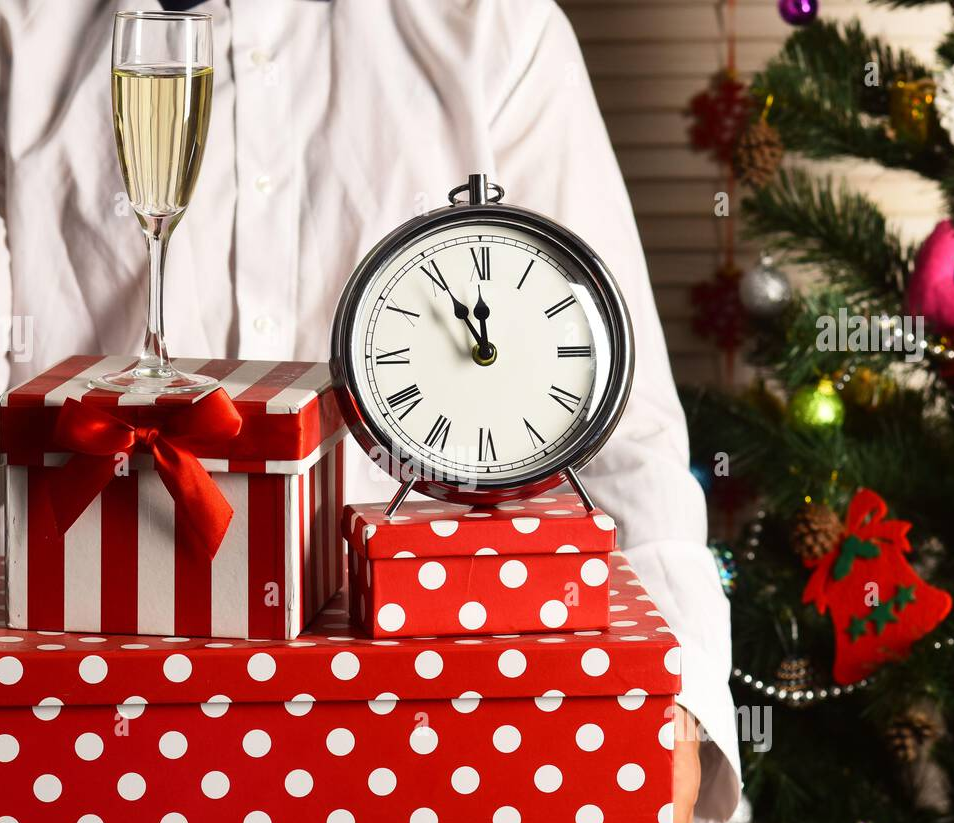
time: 11:55
